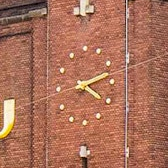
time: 4:12
